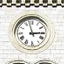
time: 2:57
